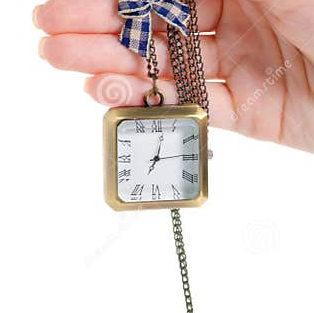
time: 7:02
